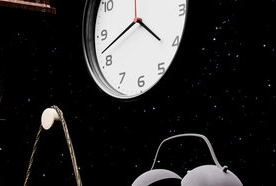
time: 8:21
